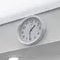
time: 1:31
